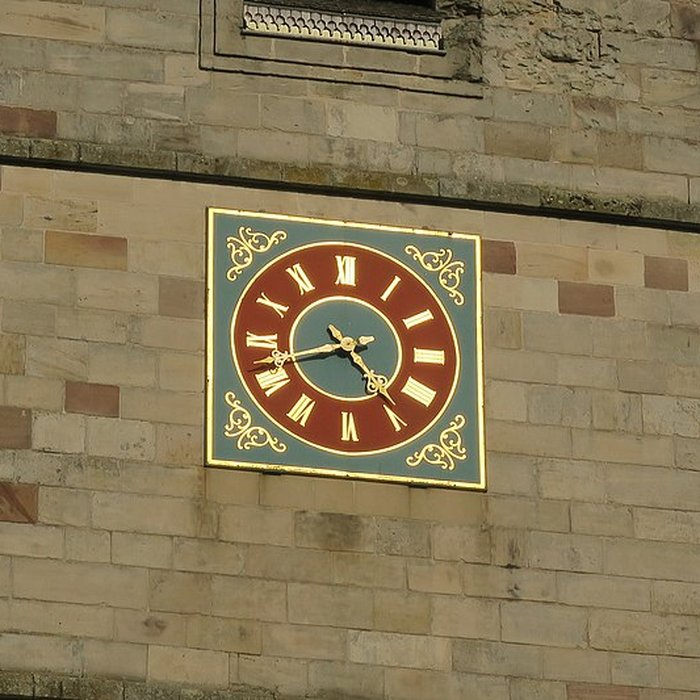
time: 4:42
